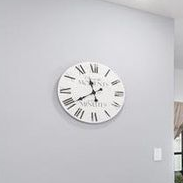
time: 11:39
